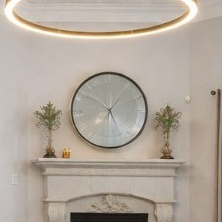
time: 12:06
